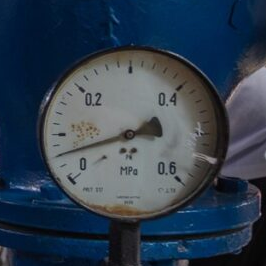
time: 1:42
